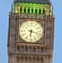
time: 6:17
